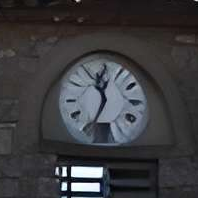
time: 11:34
